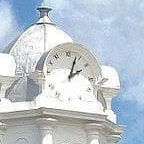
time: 2:03
